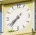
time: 7:37
